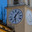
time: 6:06
